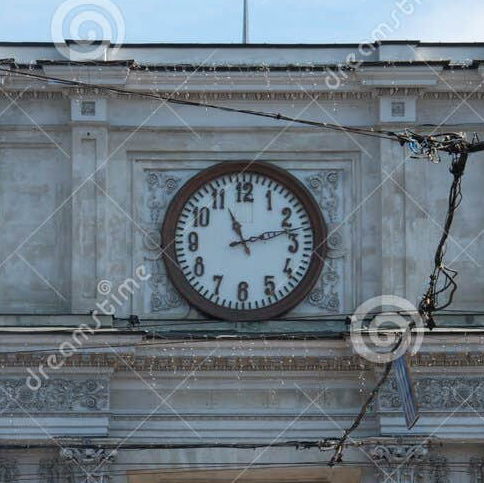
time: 11:12
